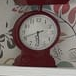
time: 5:41
